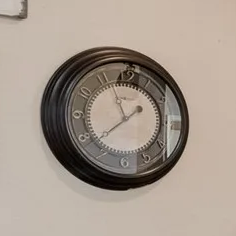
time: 1:37
